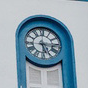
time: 5:15
